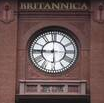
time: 5:45
